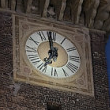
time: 6:58
